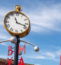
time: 11:17
